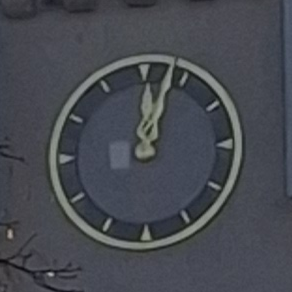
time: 12:03
